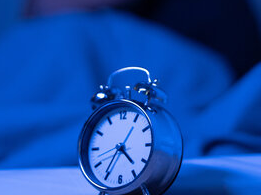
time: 4:35
